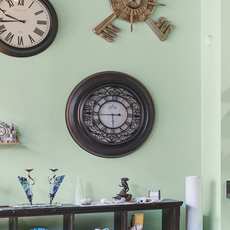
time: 5:44
